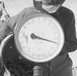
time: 9:17
